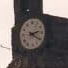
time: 2:20
